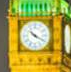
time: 10:19
